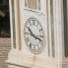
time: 10:17
